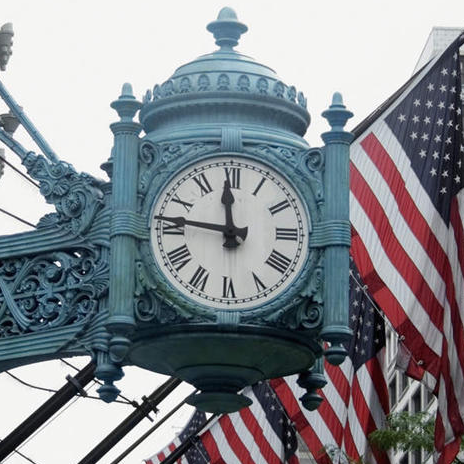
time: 11:46
